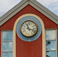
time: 11:17
